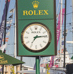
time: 7:14
